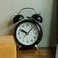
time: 10:07
